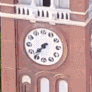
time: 7:36
